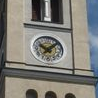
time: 10:07
